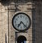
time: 7:22
